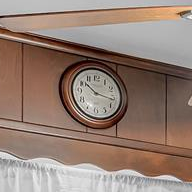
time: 10:16
